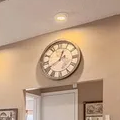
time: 12:40
